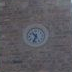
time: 10:34
